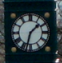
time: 1:32
